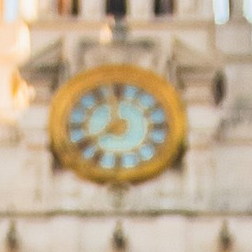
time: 11:38
